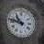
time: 10:47
